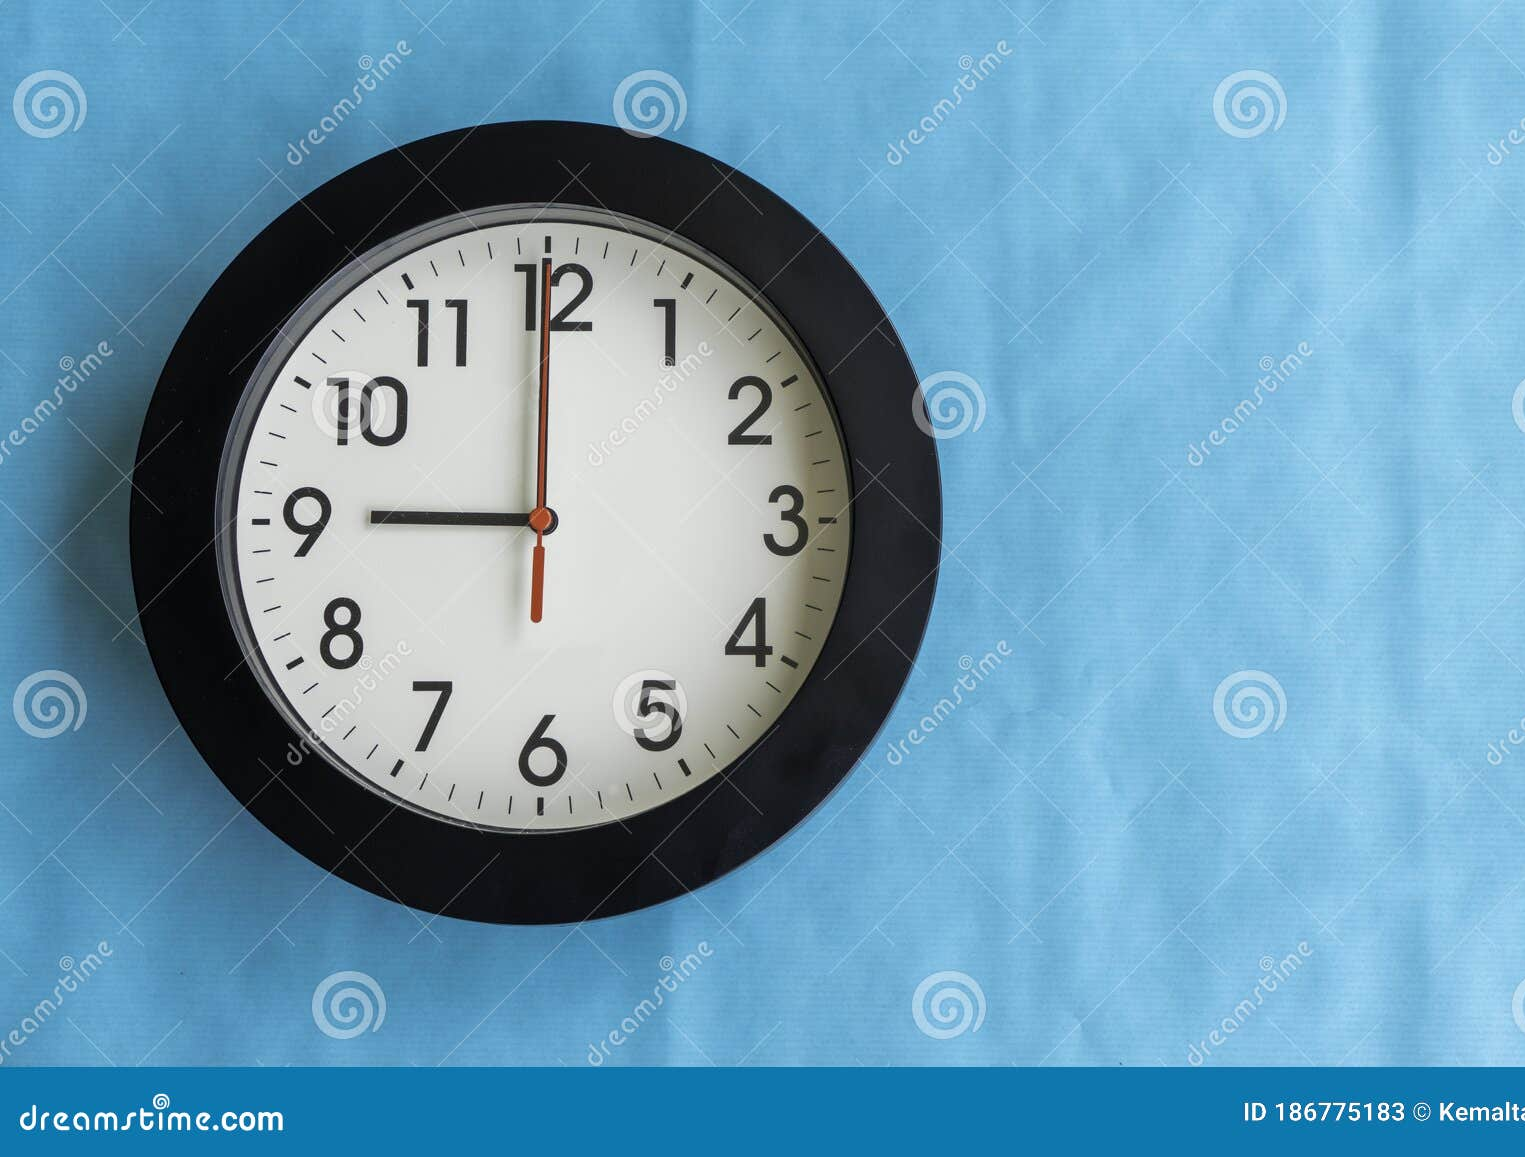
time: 8:59
